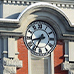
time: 8:34
